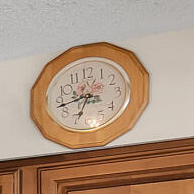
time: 6:42
